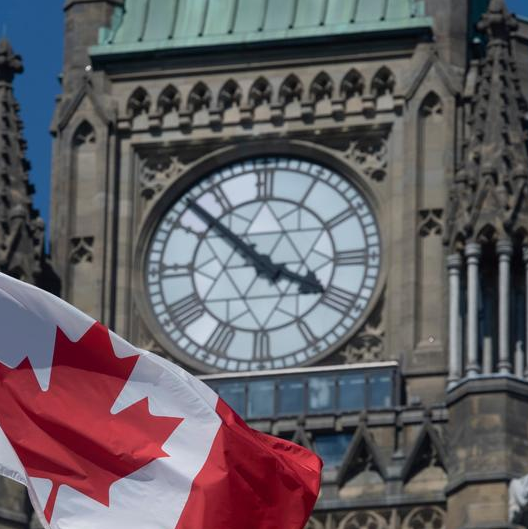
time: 3:52
